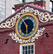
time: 5:54
